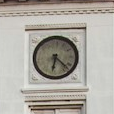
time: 6:22
